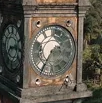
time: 1:35
